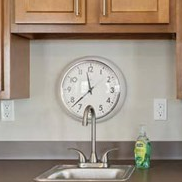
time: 11:37
